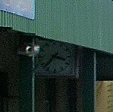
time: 3:36
